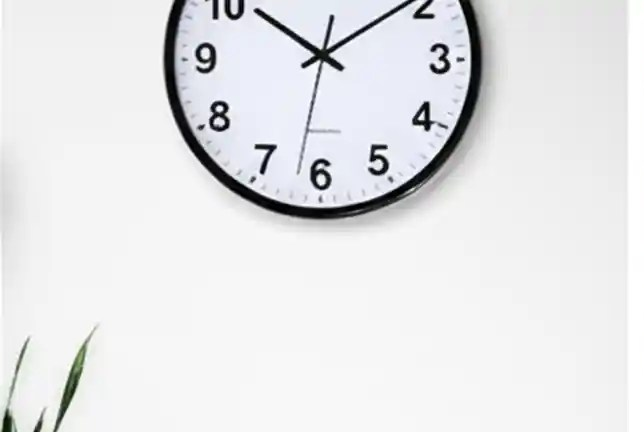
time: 10:09
